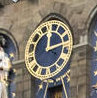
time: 12:12
